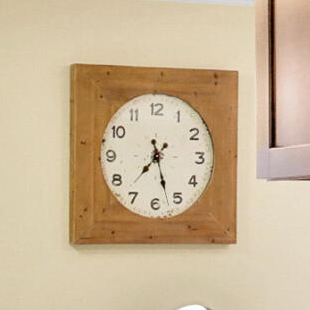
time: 7:27
